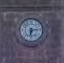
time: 6:14
